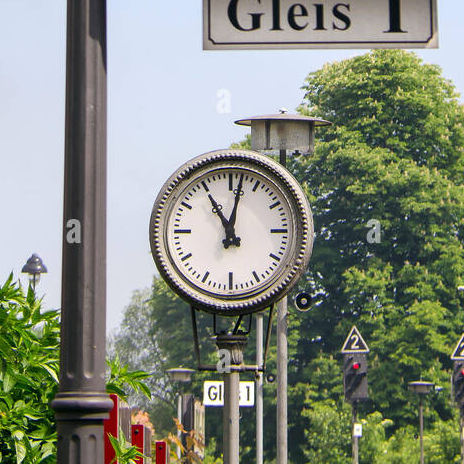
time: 11:02
